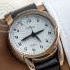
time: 4:41
